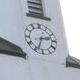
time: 2:33
